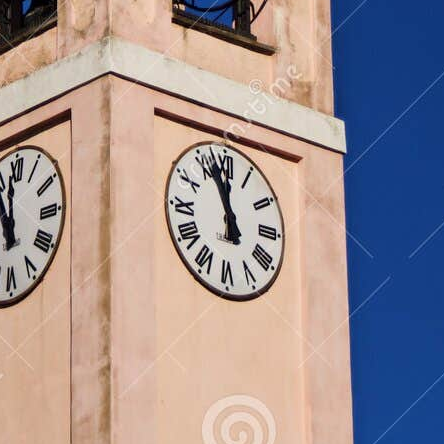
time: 11:56
